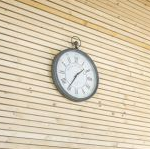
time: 1:35
